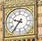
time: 9:36
